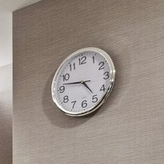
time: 4:46
